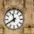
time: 11:39
